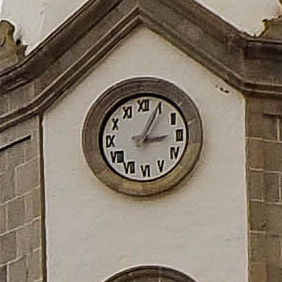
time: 3:04
